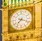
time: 7:18
